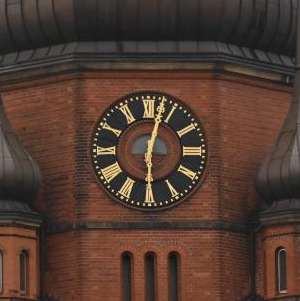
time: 6:02
